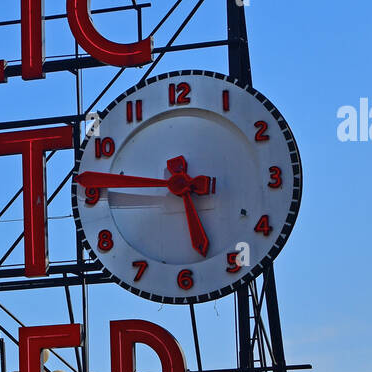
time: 5:45
